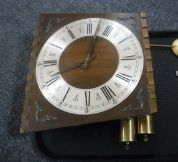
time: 8:03
